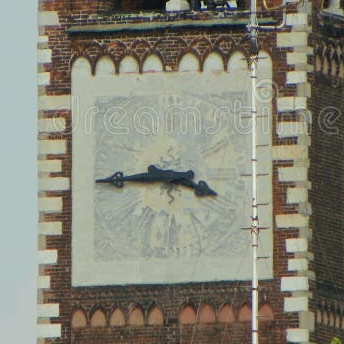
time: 3:44
